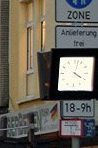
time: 4:02
